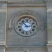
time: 2:53
